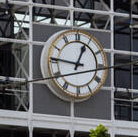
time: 12:46
